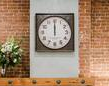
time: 11:59
